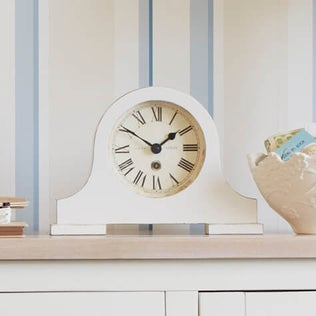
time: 1:50
